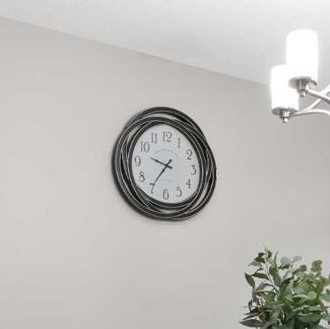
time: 9:35
